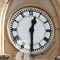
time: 12:30
